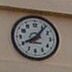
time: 8:06
